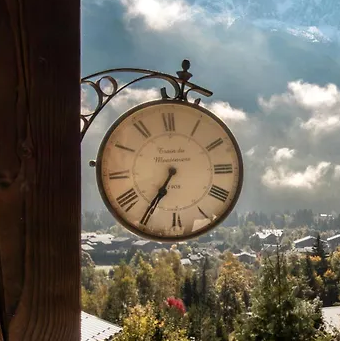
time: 6:35
